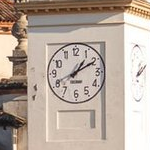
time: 1:10
